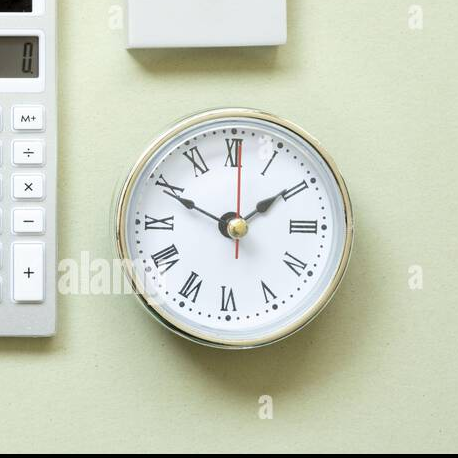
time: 1:49
